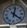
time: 12:21
